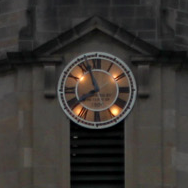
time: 7:56
